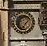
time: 7:07
